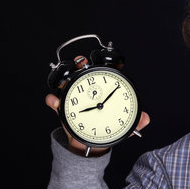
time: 9:10
